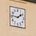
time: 1:46
